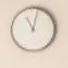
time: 11:02
